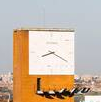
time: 8:20
